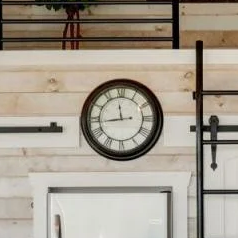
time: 11:43
